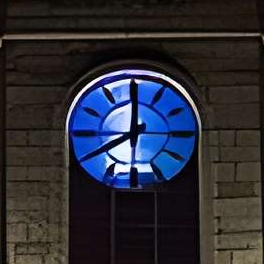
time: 7:59
